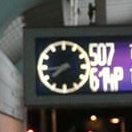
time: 7:43
